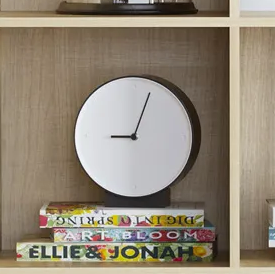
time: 9:03
